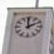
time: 1:59
